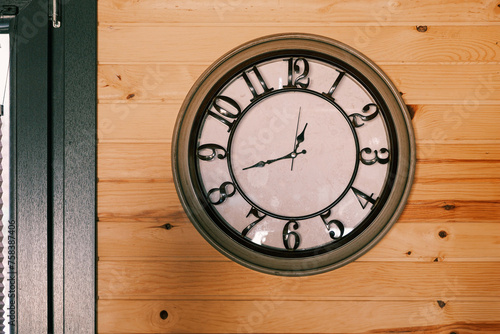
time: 12:42
